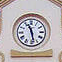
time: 11:28
